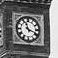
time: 11:18
